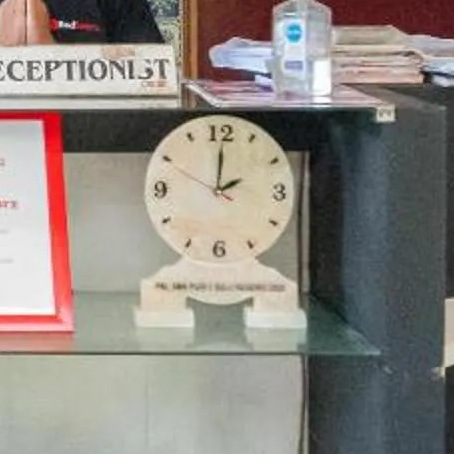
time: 2:00
